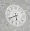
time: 5:40
